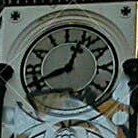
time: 12:41
